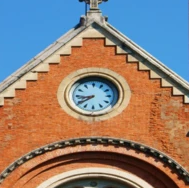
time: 8:38
